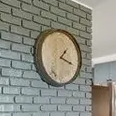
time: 1:18
